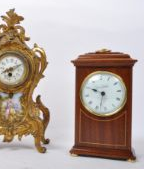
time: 9:32
